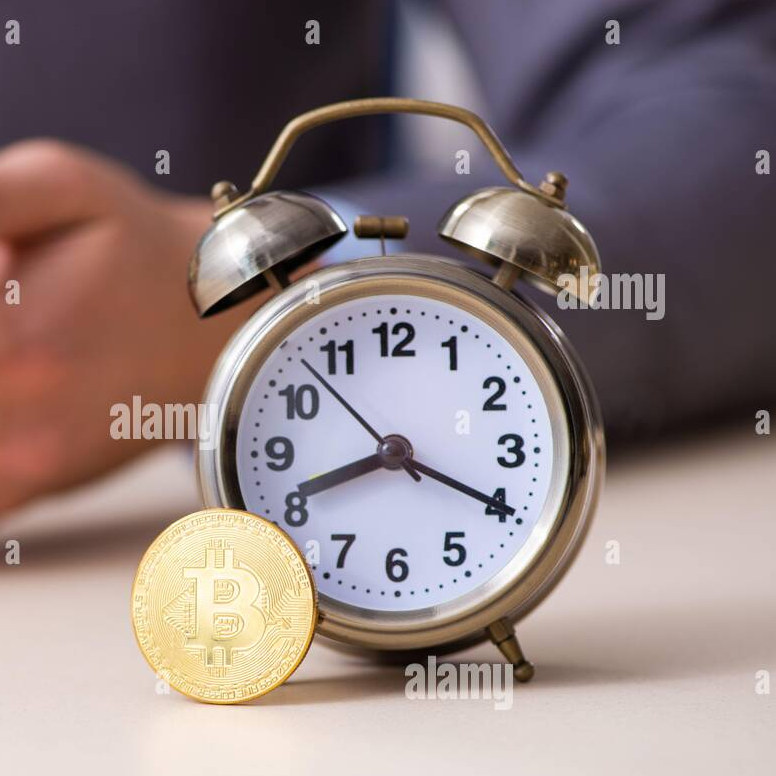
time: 8:19
